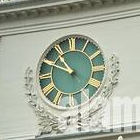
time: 10:49
